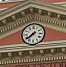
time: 7:38
